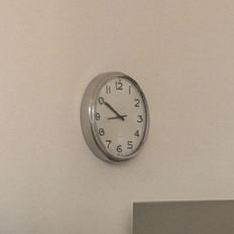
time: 8:50
